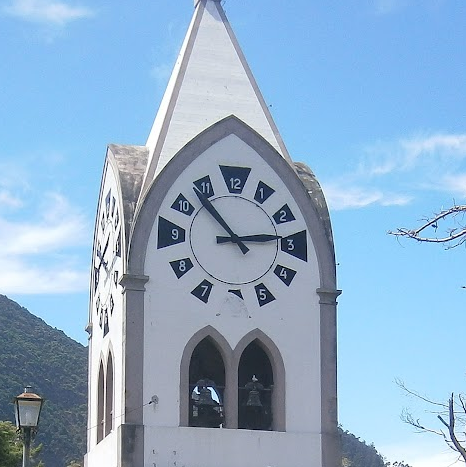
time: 2:52
